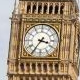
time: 3:35
